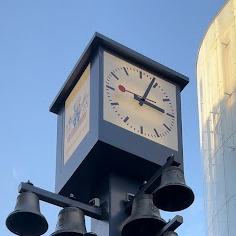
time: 3:04
